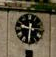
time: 9:31
